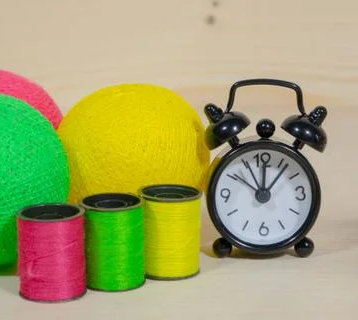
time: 12:06
